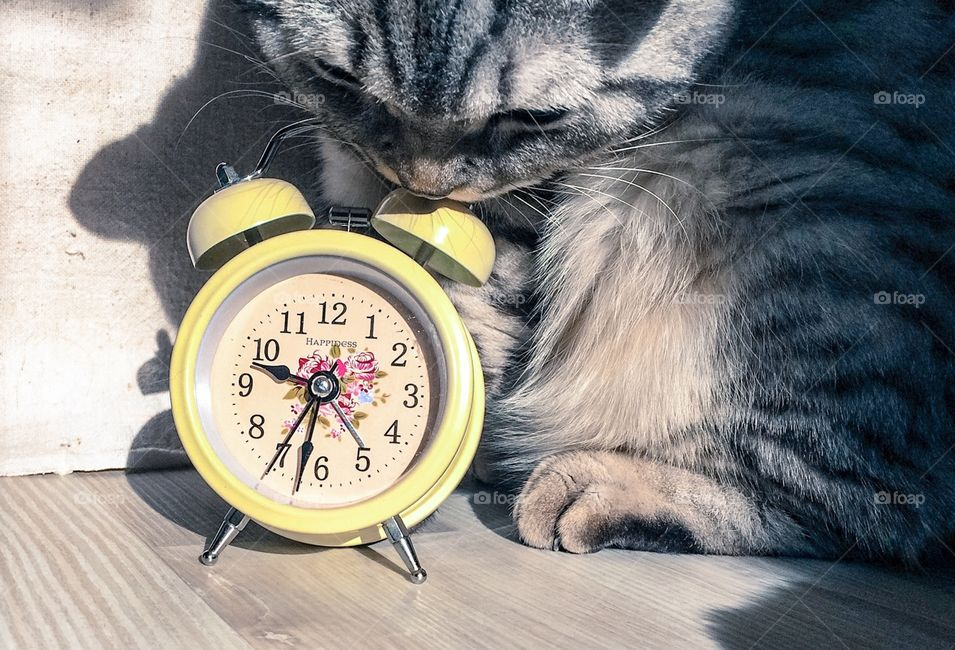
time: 9:31
